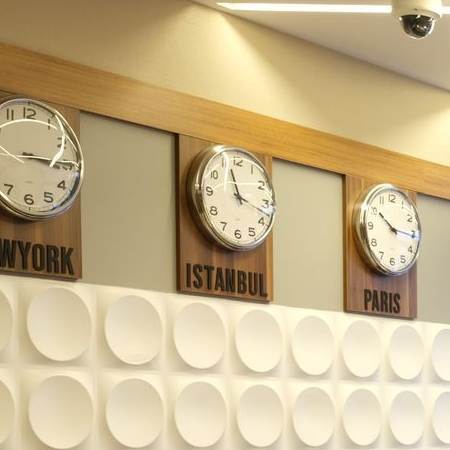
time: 11:17
